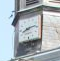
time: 8:12
